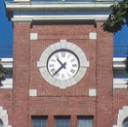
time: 10:37
